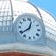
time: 12:38
